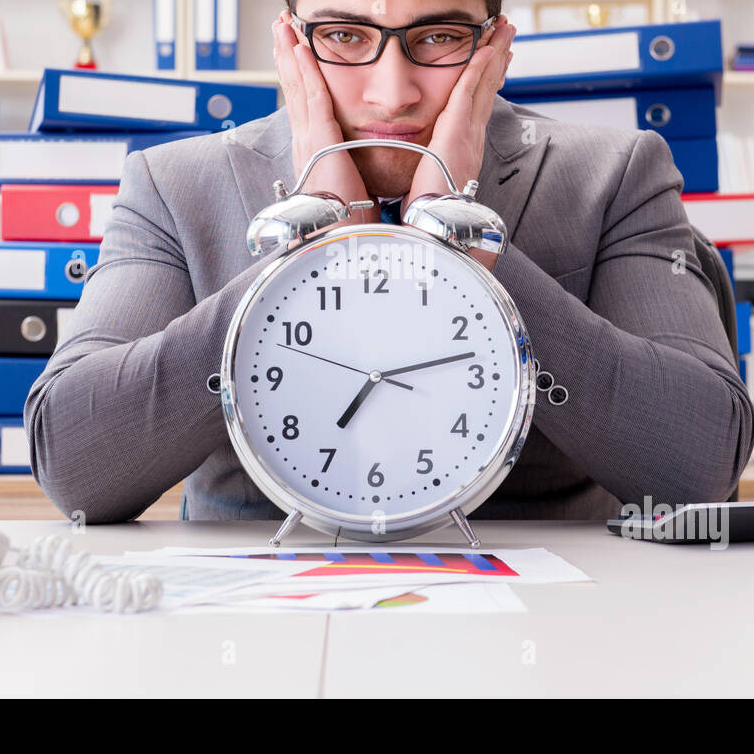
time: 7:12
